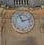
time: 11:12
